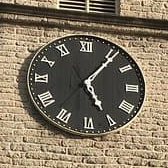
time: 5:06
